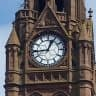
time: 12:44
